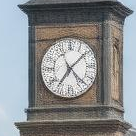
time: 7:08
